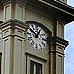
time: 12:52
